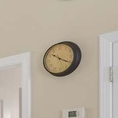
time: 10:19
